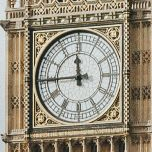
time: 11:44
